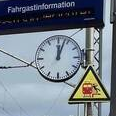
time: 12:03
